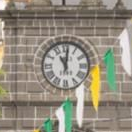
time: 11:01
